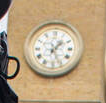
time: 1:25
